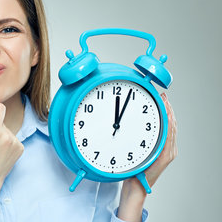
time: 12:03
